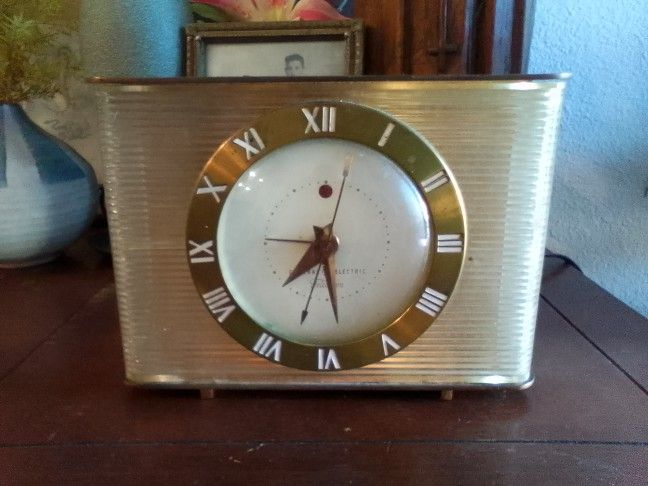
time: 7:28
